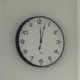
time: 12:02
